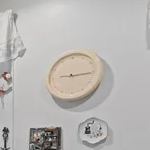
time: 9:15
